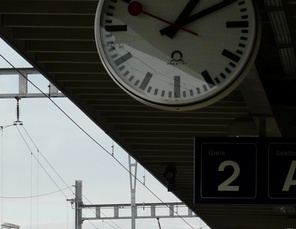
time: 1:10
